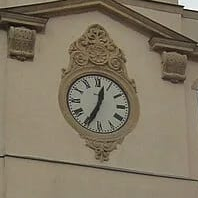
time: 12:34
